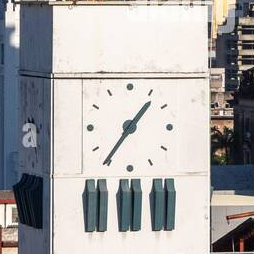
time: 1:36
